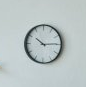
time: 10:14
